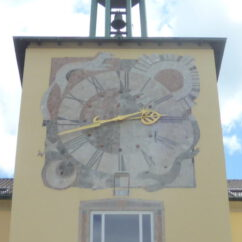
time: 2:42
